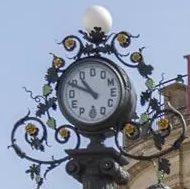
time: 10:49
